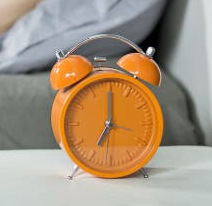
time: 7:00
